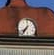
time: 7:36
